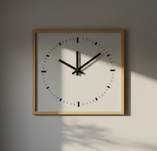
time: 12:08
